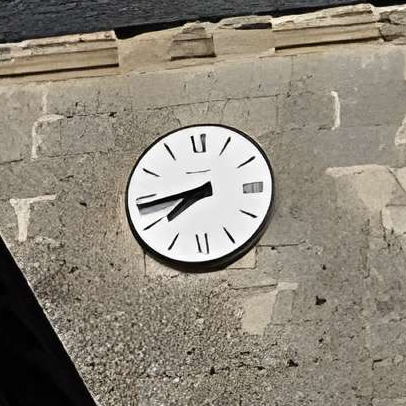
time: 7:43
